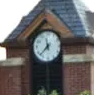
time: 11:37
